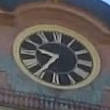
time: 9:35
